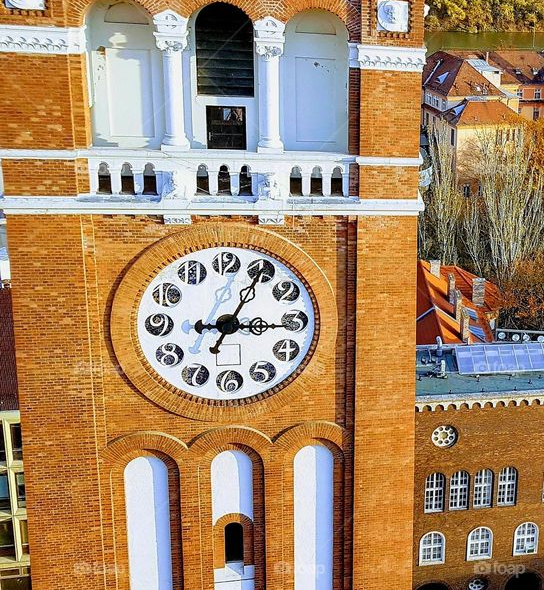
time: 3:04
